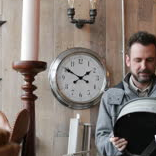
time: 1:50
